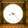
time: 8:22
